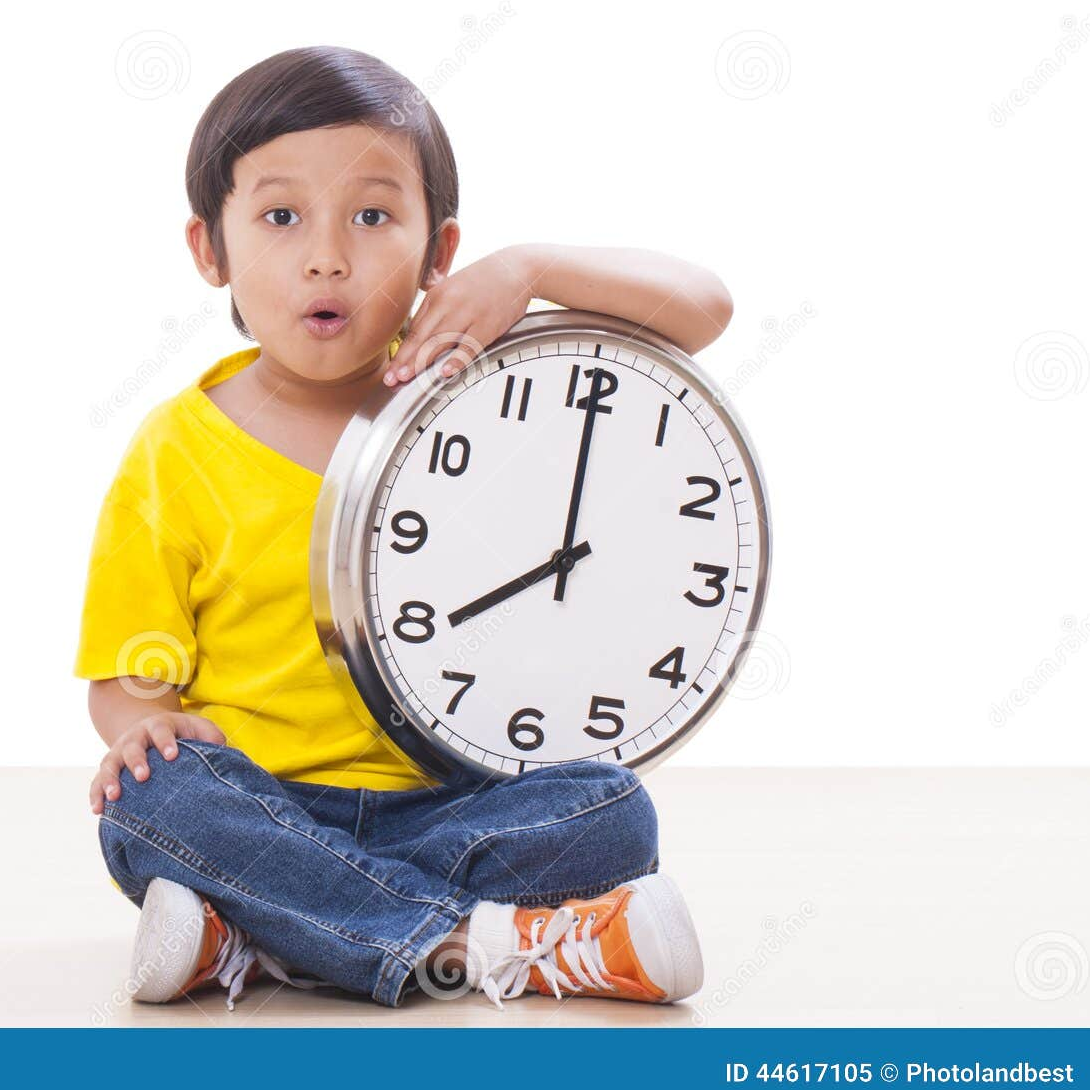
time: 8:00
